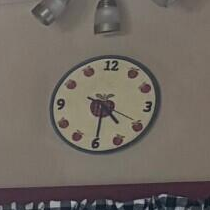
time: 4:30
